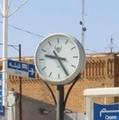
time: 9:25
